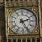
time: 2:25
